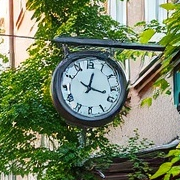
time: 12:18
